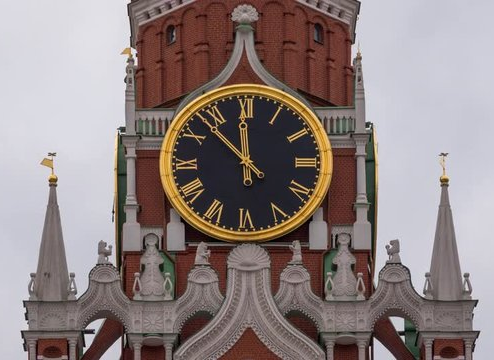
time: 11:52
